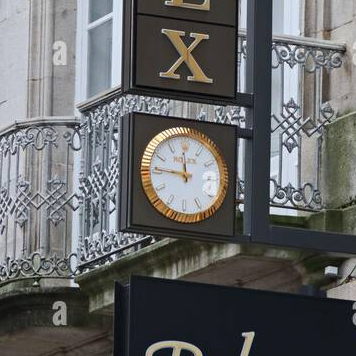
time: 11:45
